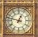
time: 12:47
